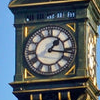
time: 1:16
